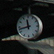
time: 11:42
